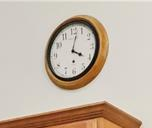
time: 4:02
